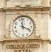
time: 3:58
